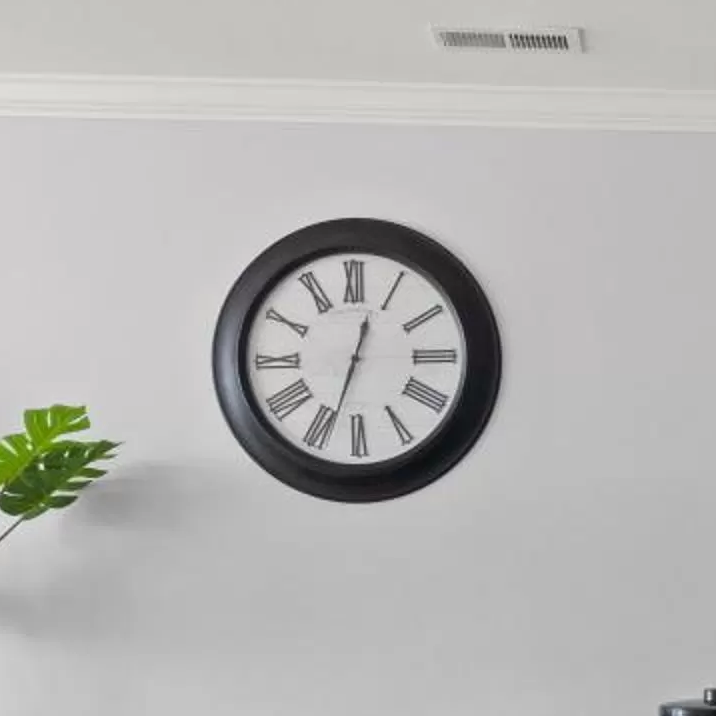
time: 12:33
